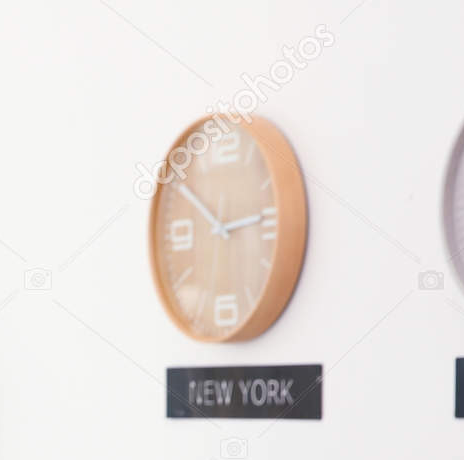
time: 10:14
